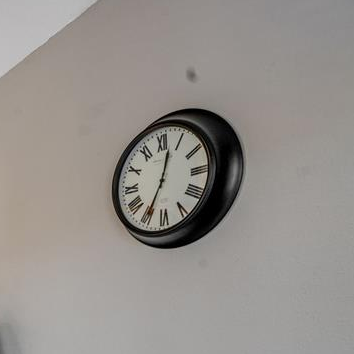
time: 12:34
